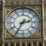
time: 2:35
